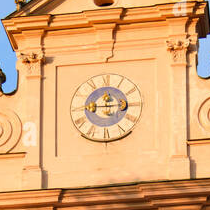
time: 12:14
